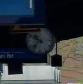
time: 10:36
